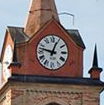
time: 12:47
